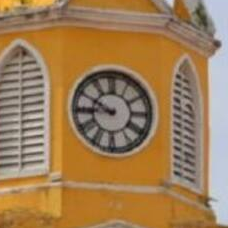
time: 8:49
